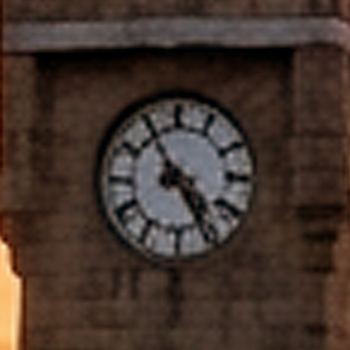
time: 4:54
